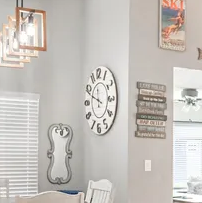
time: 11:48
